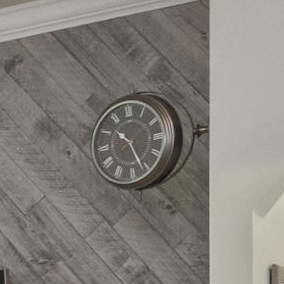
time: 10:26
